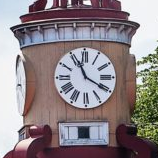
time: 11:19
